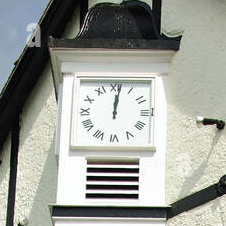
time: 12:01
